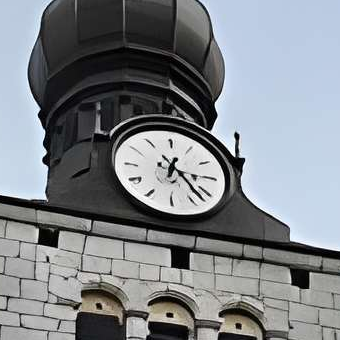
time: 6:22
